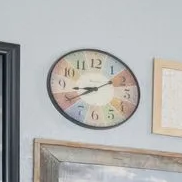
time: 8:39
